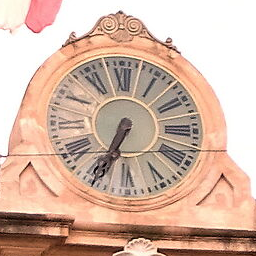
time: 6:34
